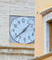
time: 1:38
